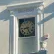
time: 8:25
